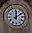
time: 12:09
